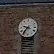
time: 9:36
